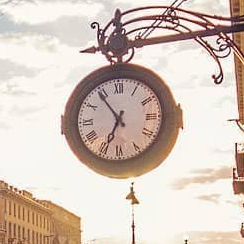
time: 6:54
